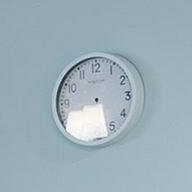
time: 8:27
